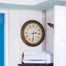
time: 2:29
